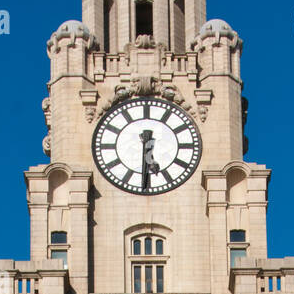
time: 5:30
